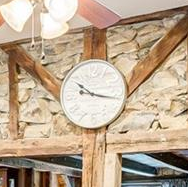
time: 10:17
